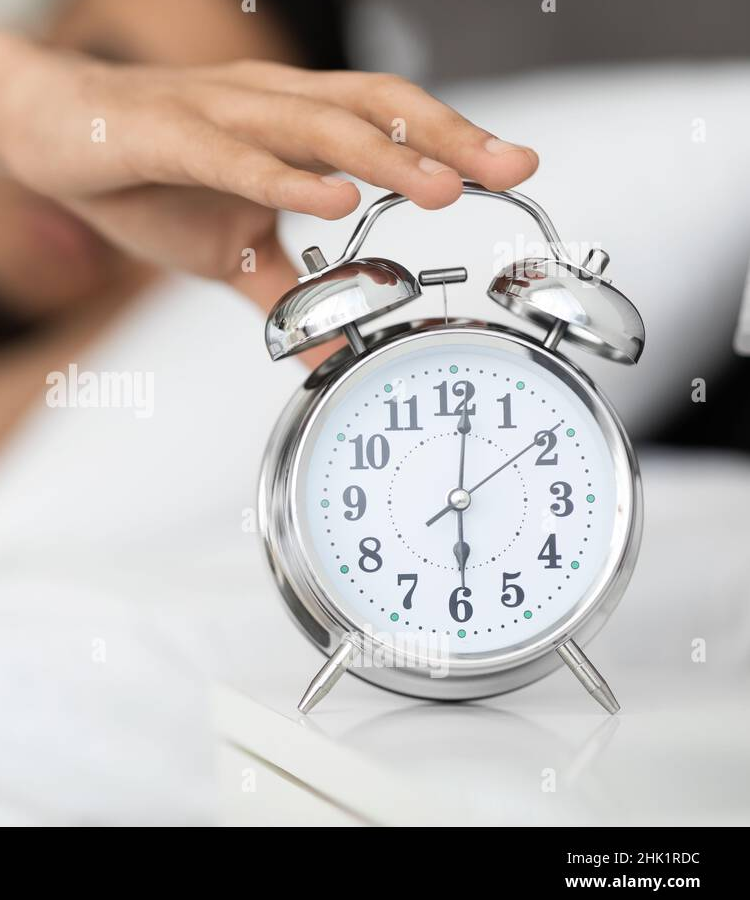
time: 6:01
